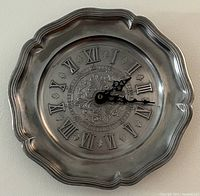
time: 2:18
